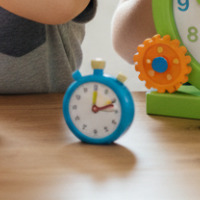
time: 12:11
